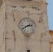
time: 2:40
